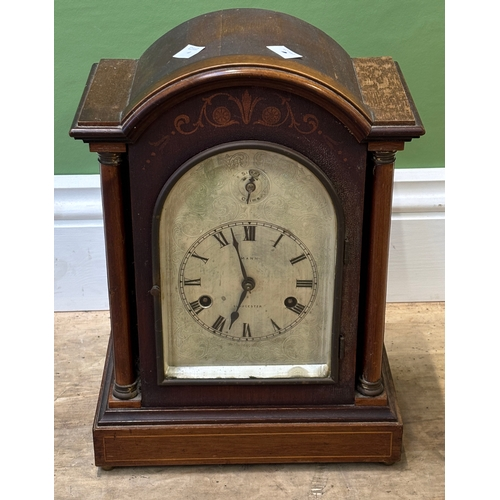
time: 6:56
